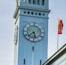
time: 5:37
